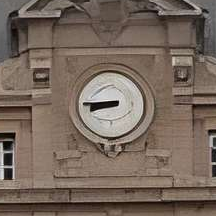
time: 8:46
